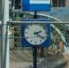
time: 2:21
